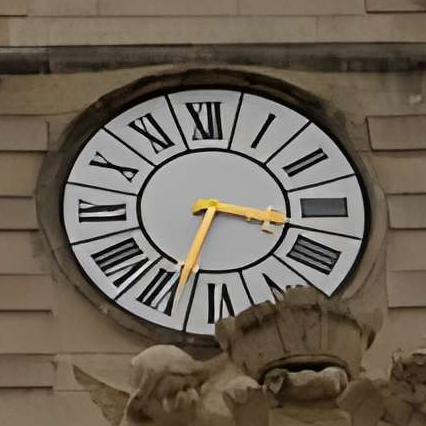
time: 3:33
